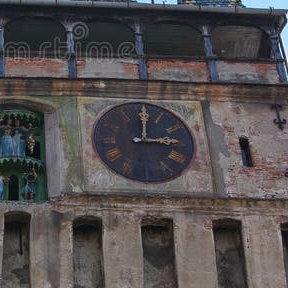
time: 3:00
